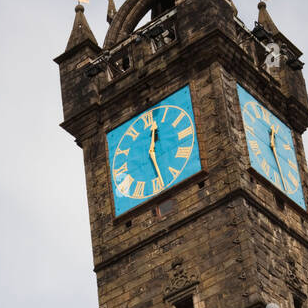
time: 12:28
